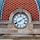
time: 8:09
